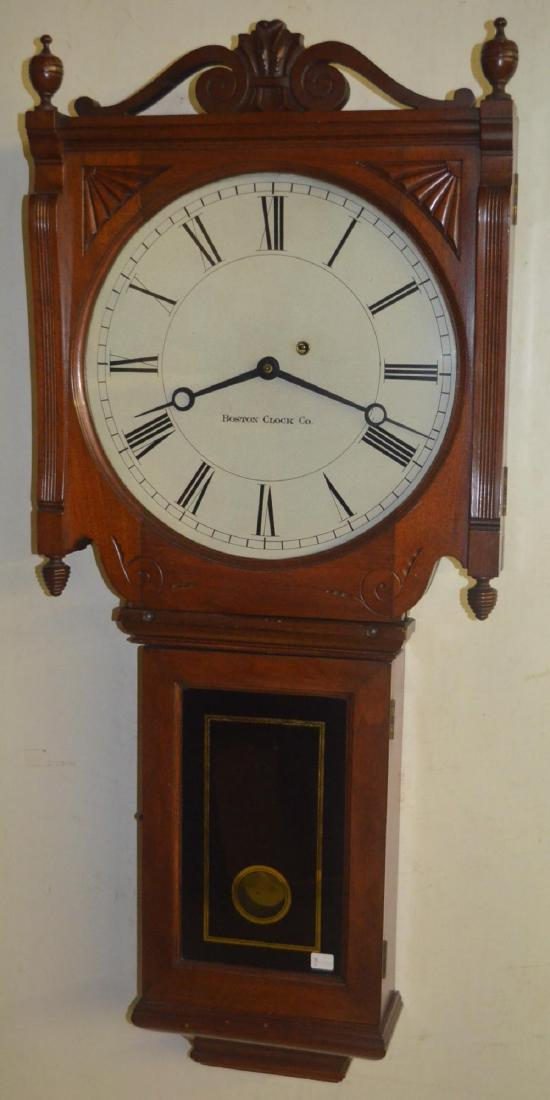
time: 3:40
